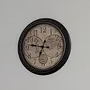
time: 6:46
